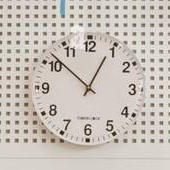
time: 12:52
